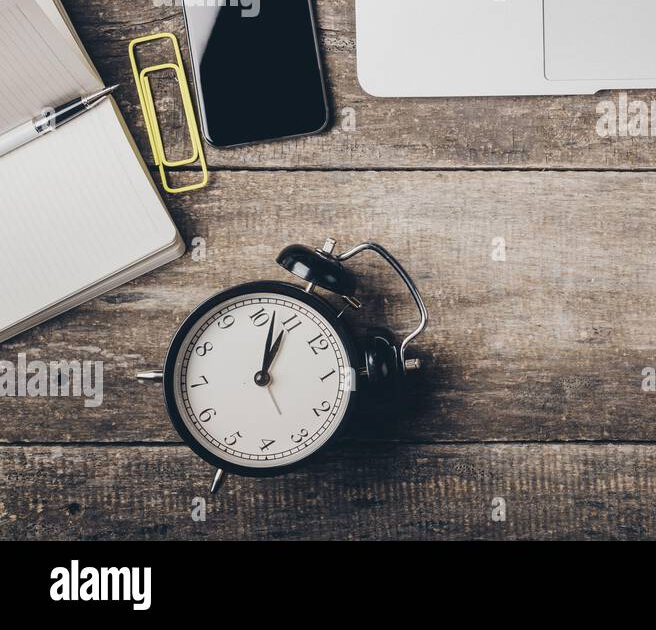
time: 1:02
